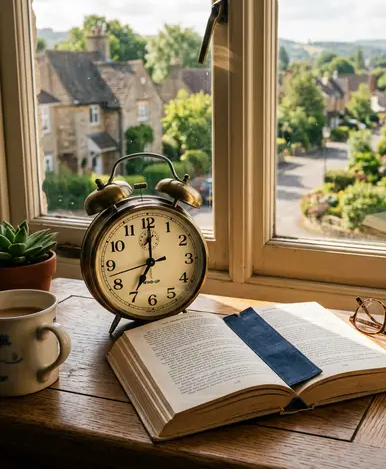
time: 7:00
